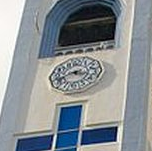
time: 8:16
